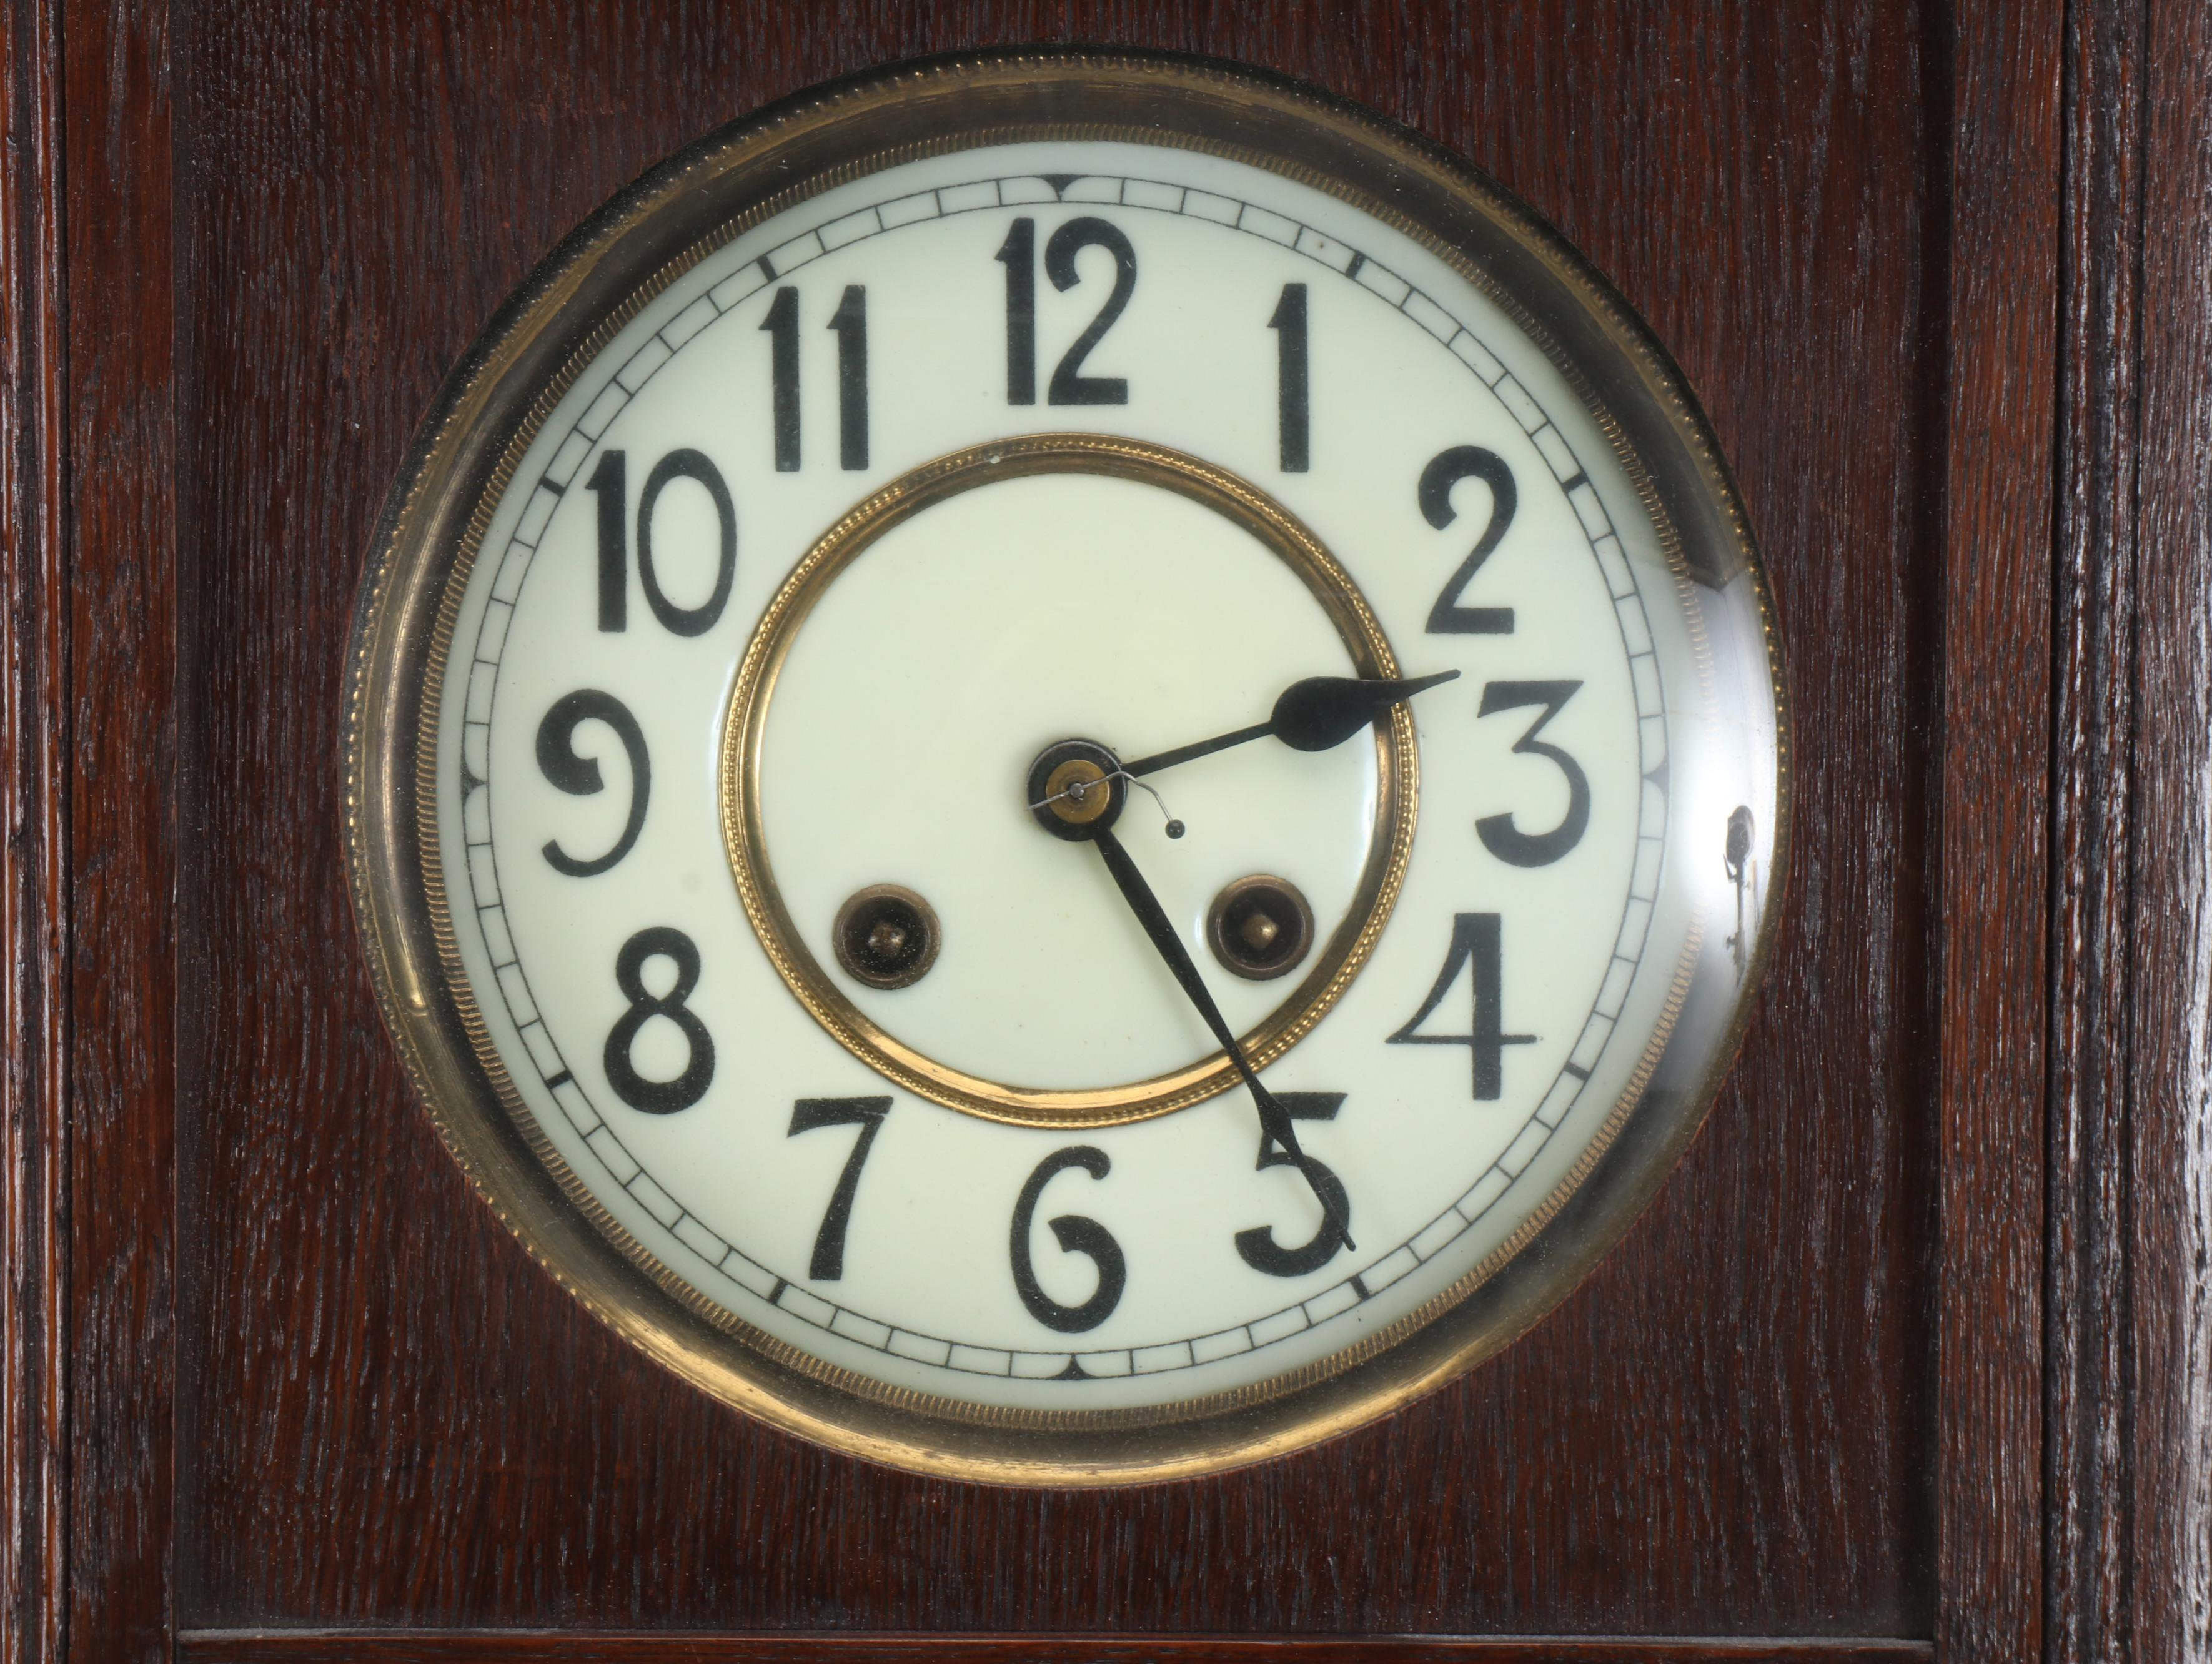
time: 2:24
